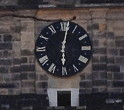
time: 6:01
